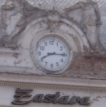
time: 8:15
